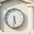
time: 5:31
